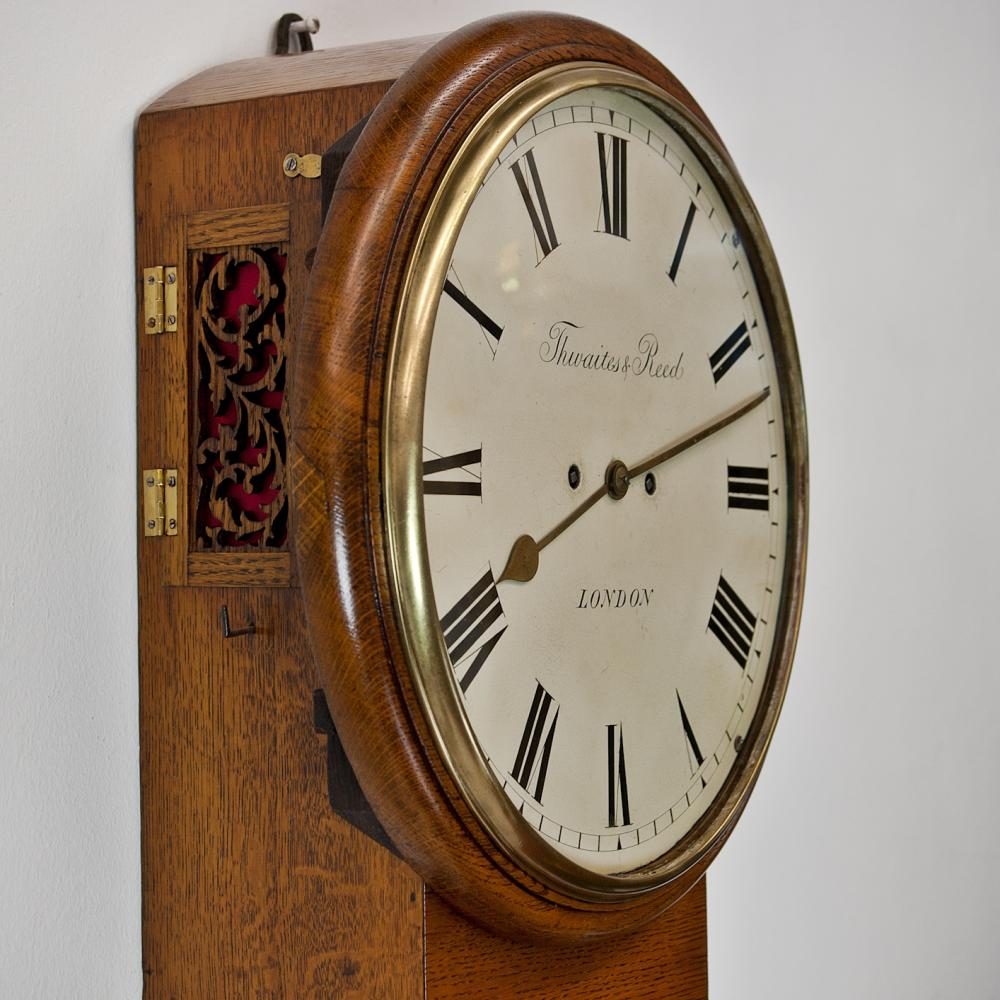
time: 8:12
